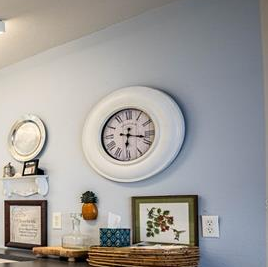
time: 6:17
